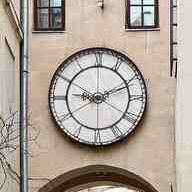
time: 9:11
